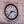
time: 2:36
